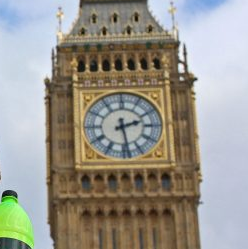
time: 2:28
